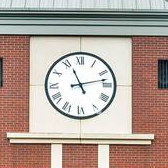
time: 11:12
